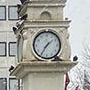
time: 1:35
